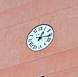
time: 1:16
